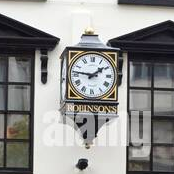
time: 1:46
